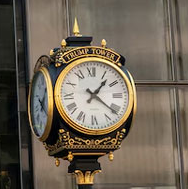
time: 1:21
